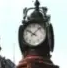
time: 10:07
